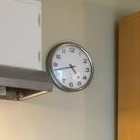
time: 4:42
